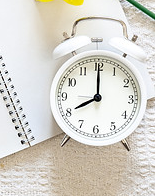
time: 8:00
